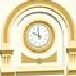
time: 9:59
